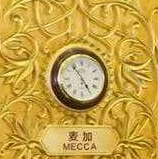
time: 4:53
